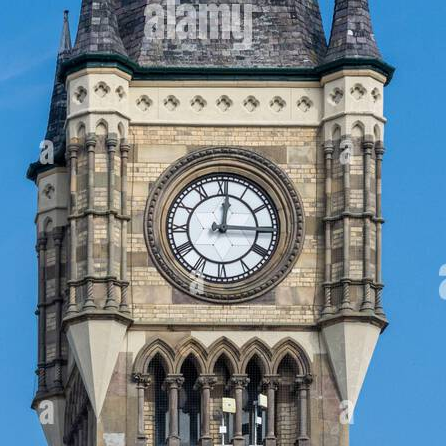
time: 12:15
